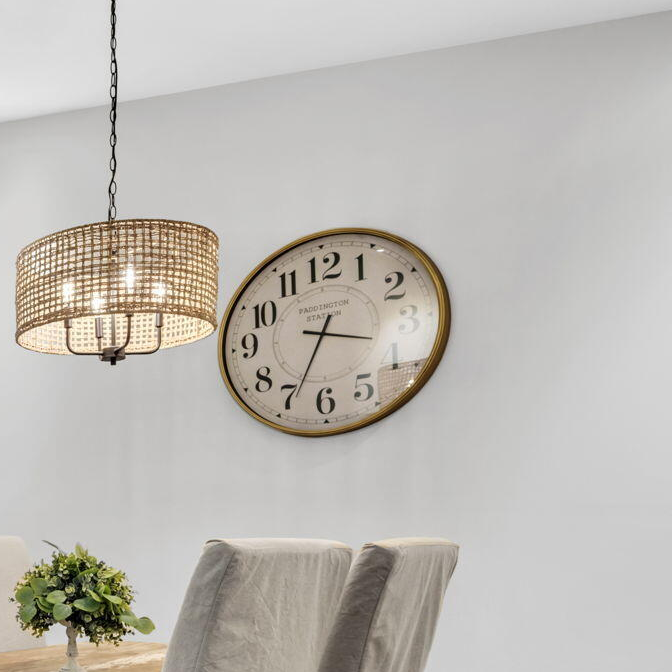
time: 3:34
